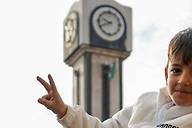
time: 9:41
